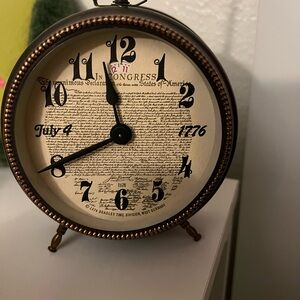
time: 11:40
